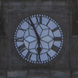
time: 5:55
